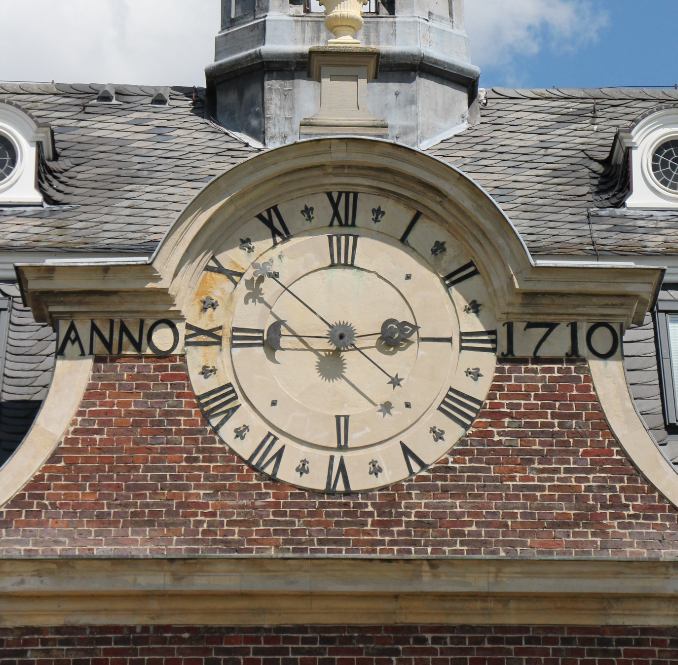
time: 2:51
